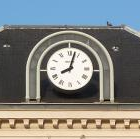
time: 8:02
